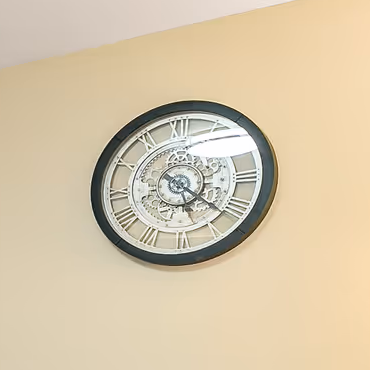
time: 5:21
